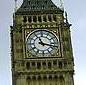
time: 11:17
